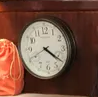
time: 4:20
